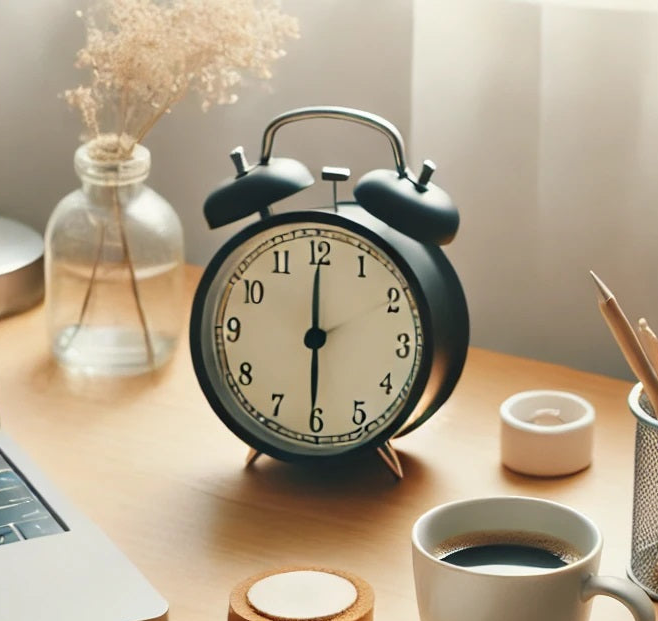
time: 6:00
